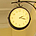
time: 2:18
